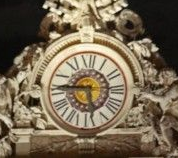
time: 5:45
